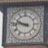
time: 9:45
